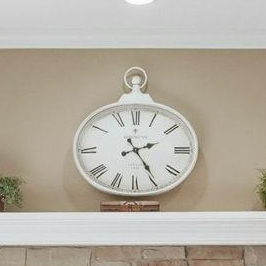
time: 2:24
